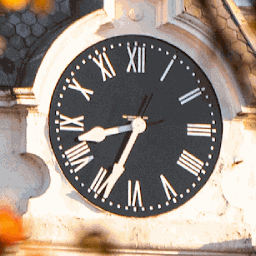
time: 8:34
